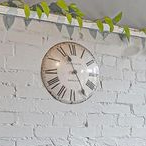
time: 11:25
